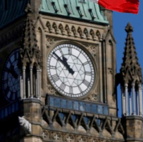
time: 10:51
